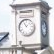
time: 11:07
